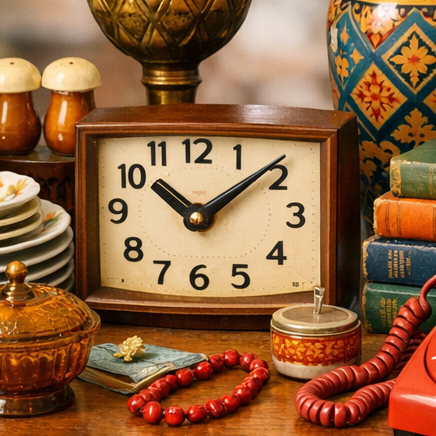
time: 10:08
